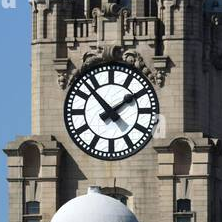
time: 1:52
